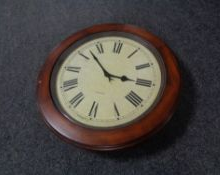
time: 2:52
